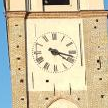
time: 4:17
